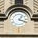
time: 1:18
